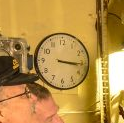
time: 3:15
